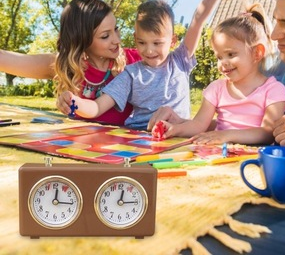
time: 12:14
